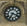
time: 7:18
